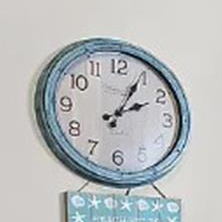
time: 2:04
